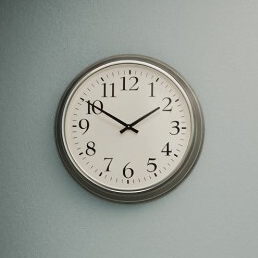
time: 1:50
